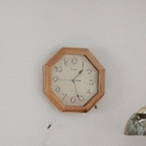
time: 1:26
